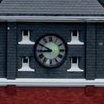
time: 8:50
